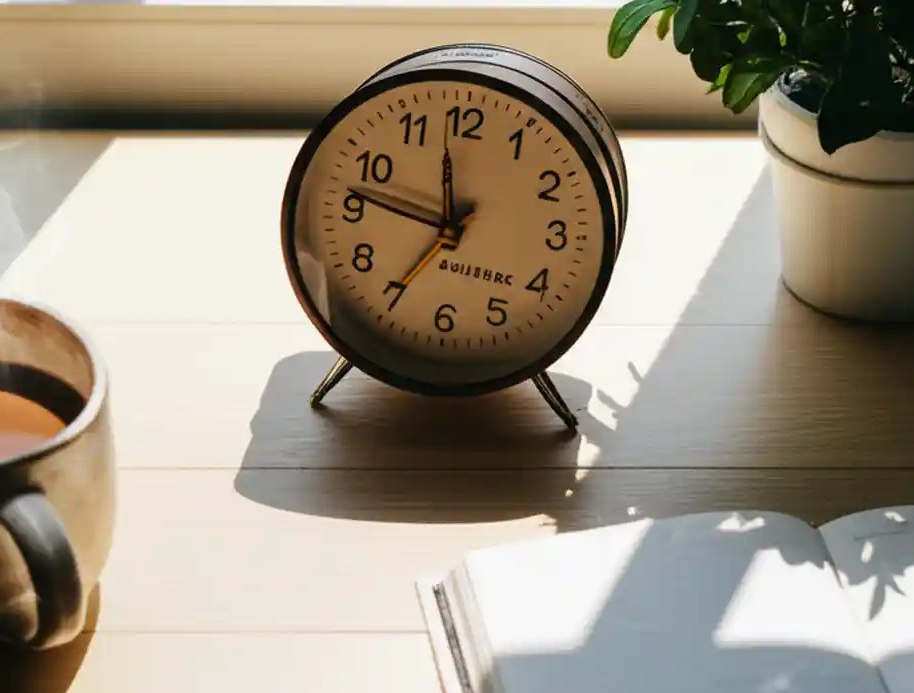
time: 11:46
